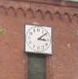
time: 3:08
